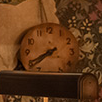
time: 7:40
